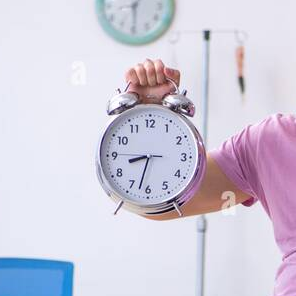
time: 8:32
